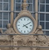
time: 4:10
